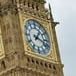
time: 1:18
